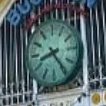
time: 8:24
